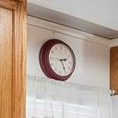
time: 2:25
